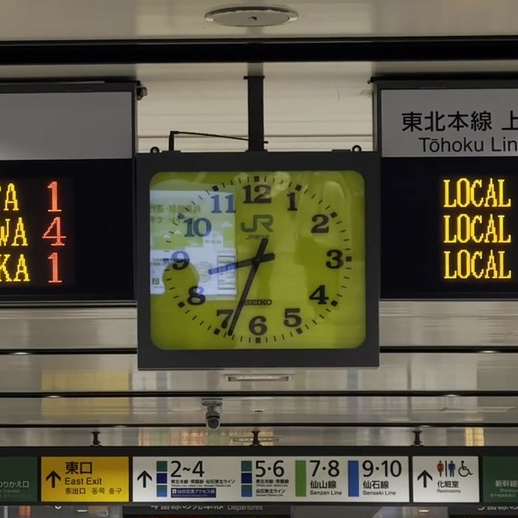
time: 8:33
